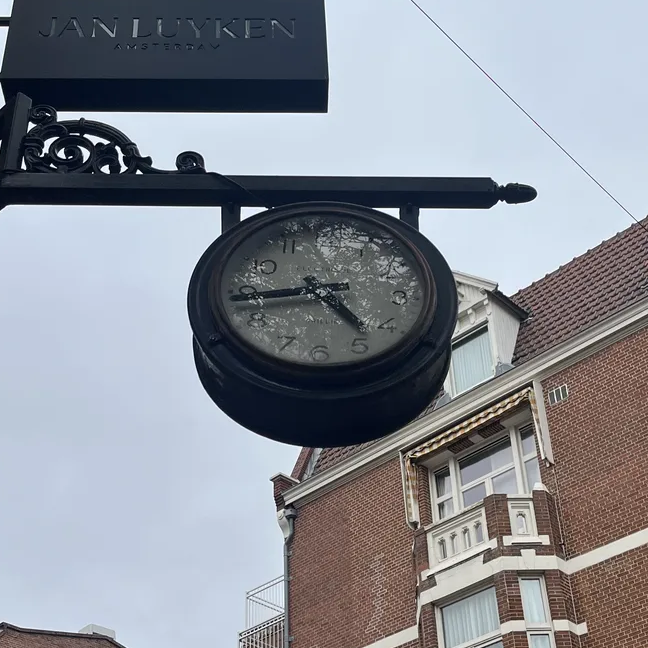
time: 4:44
